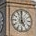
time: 4:59
